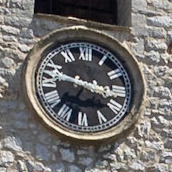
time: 3:47
